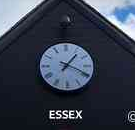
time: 1:19
